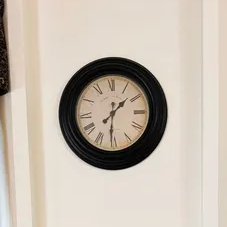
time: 1:30
